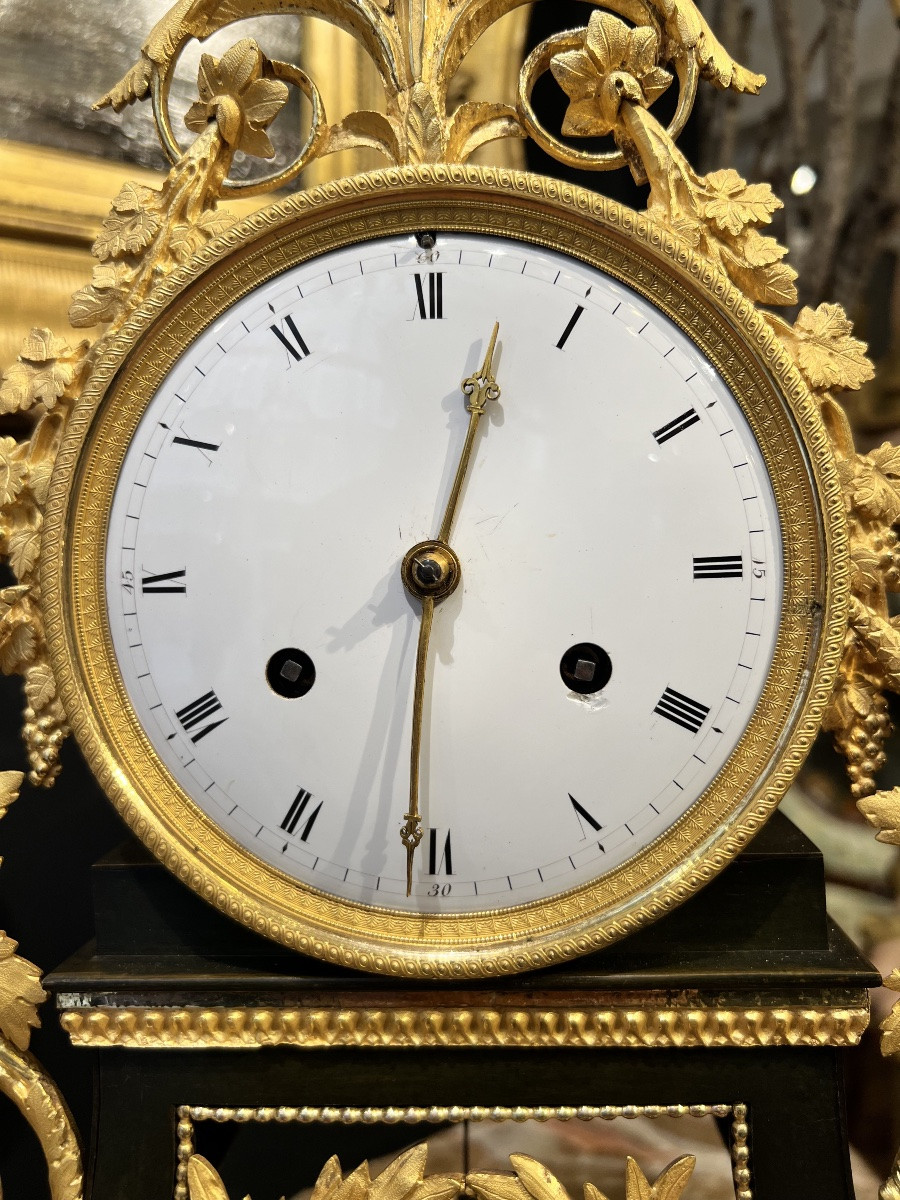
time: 12:30
